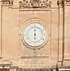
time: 5:59
